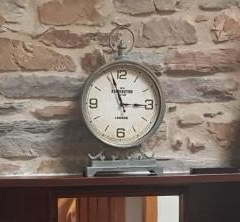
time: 2:56
